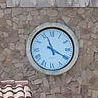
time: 11:19
